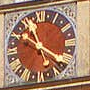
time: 11:21
